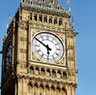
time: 5:50
